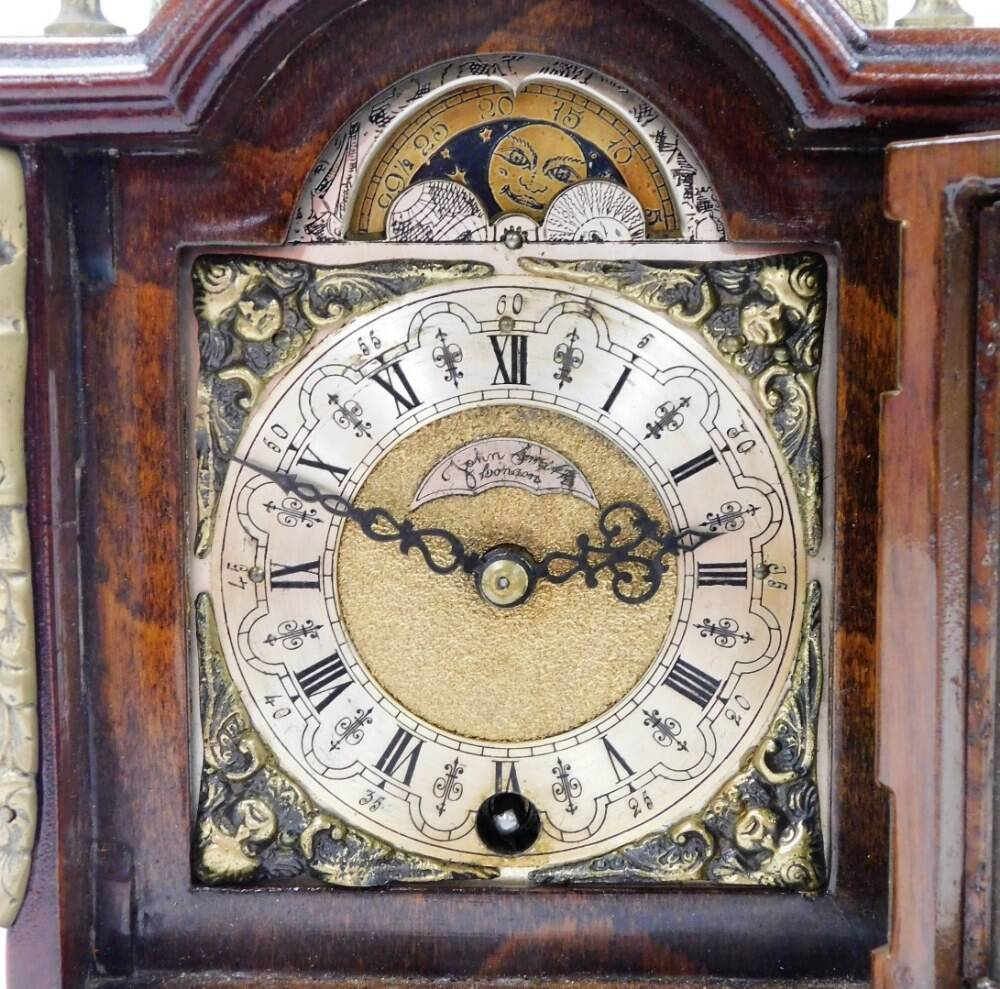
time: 2:48
